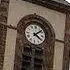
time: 4:07
